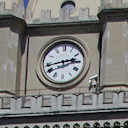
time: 2:43
